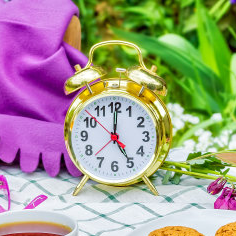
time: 5:00
